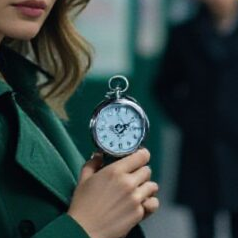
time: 3:11
